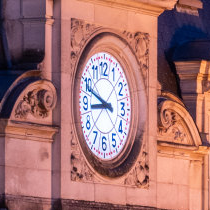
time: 8:48
